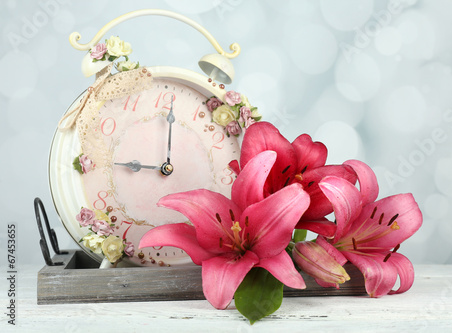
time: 9:01
